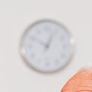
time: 12:49
